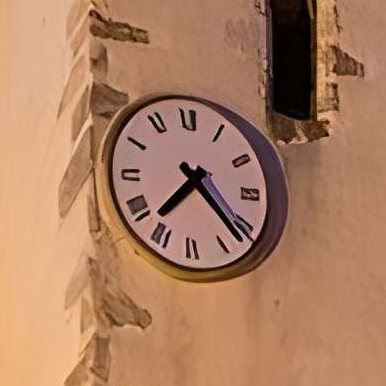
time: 7:22
